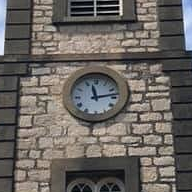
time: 11:13
